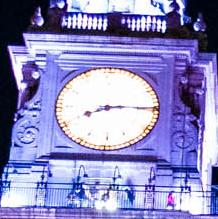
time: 8:14
